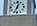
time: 12:33
